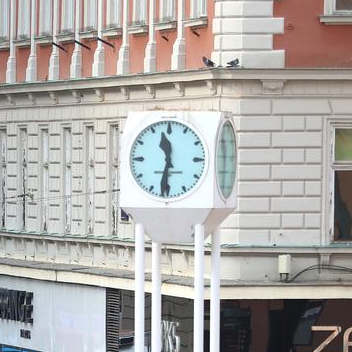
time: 11:31
